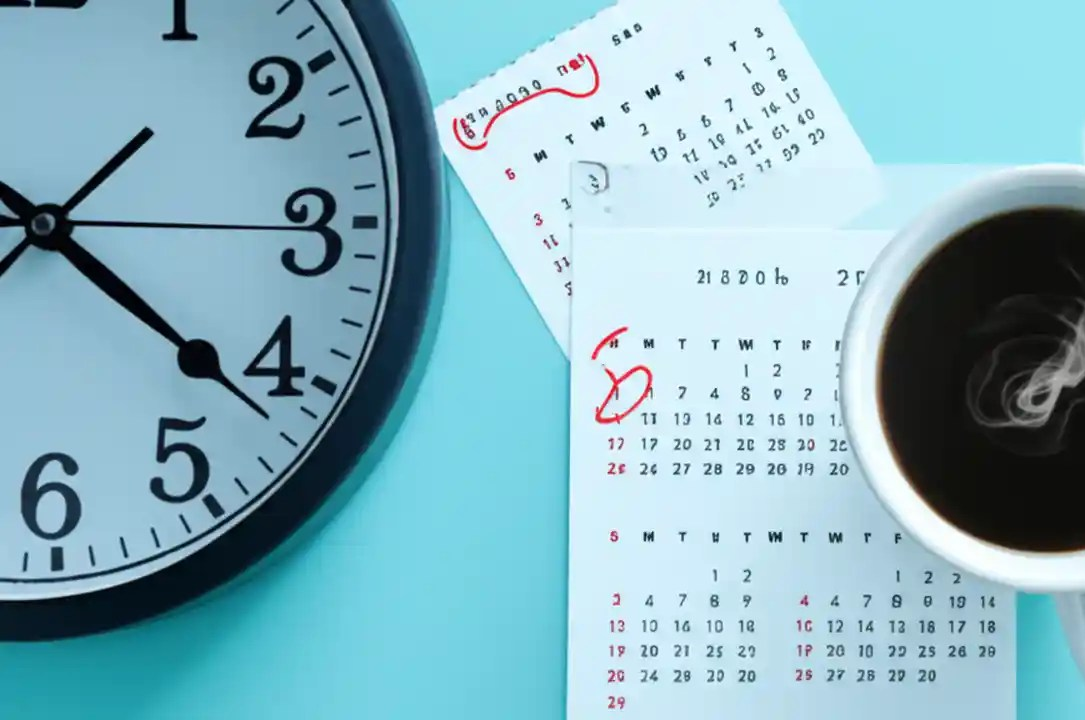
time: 1:21
